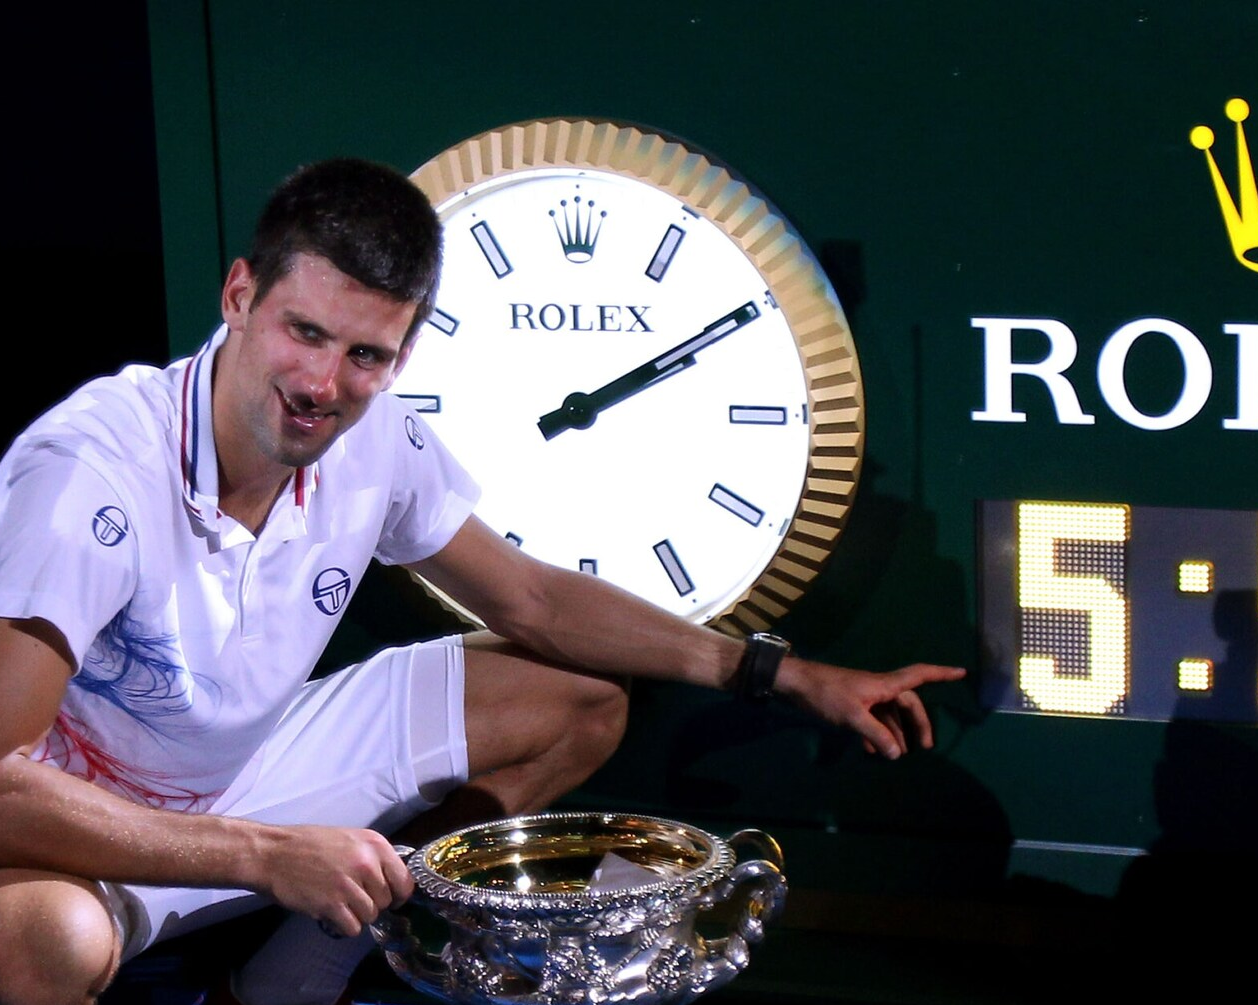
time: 2:09
